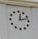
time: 12:12
